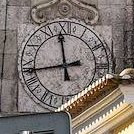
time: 11:43
